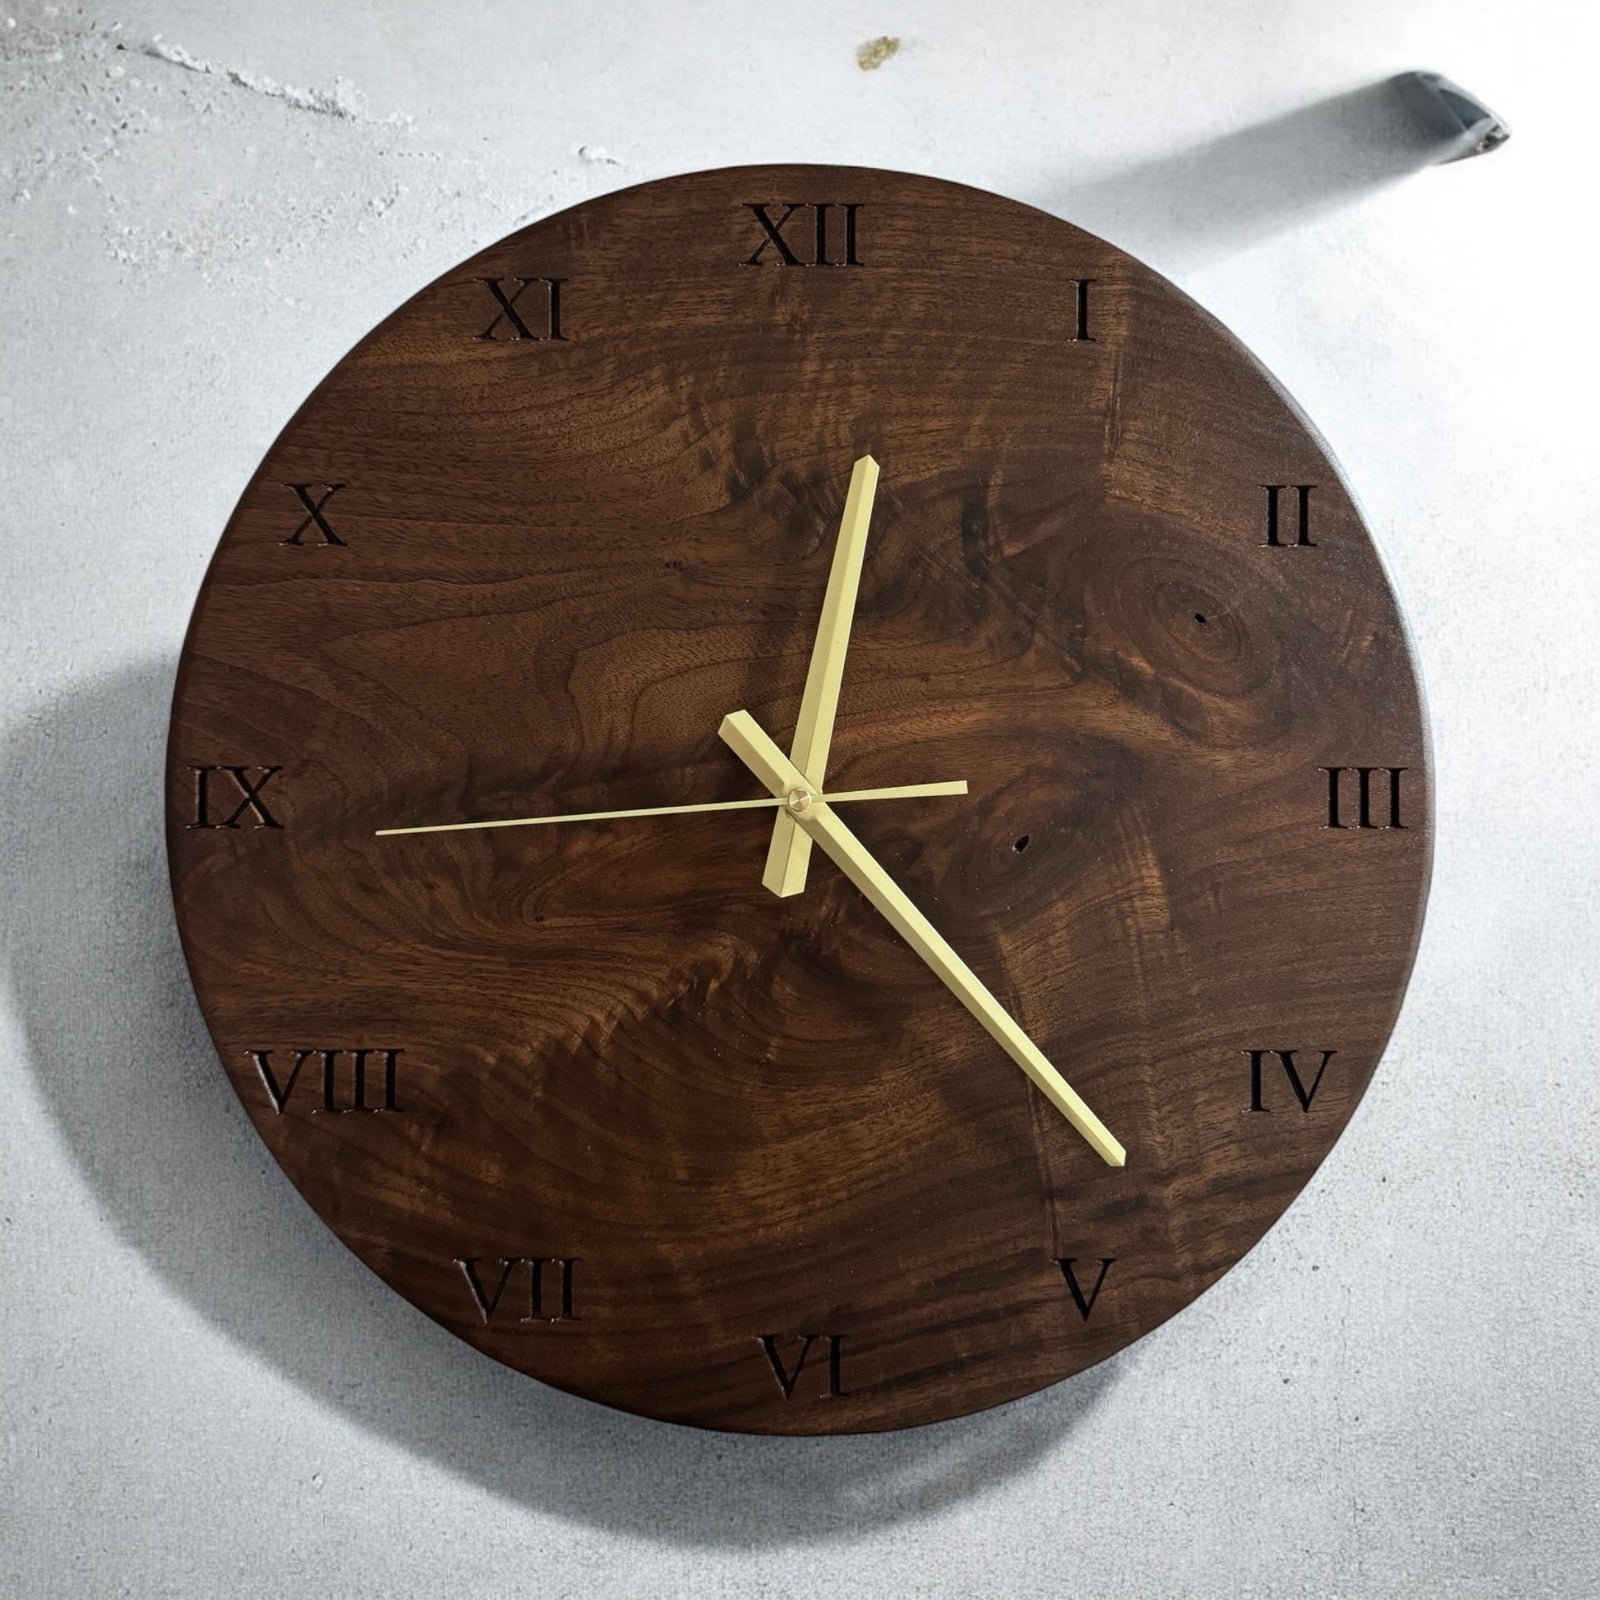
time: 12:23
